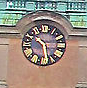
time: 10:28
